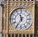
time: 11:35
